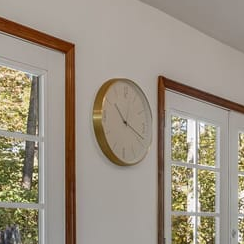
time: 10:18
